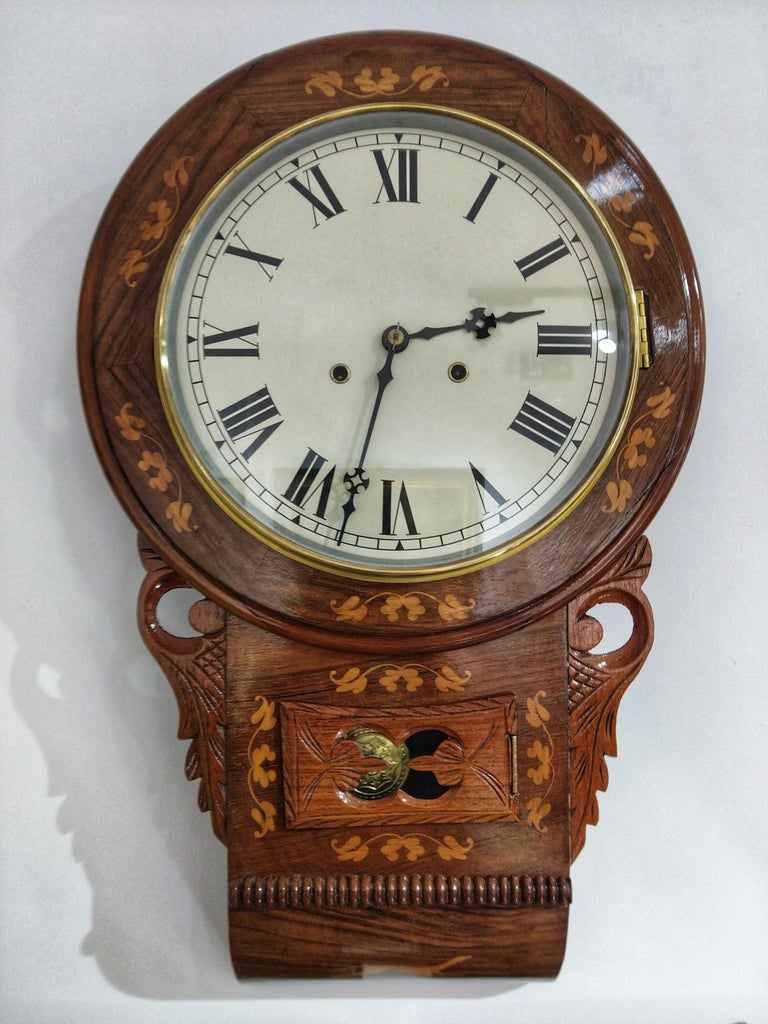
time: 2:32
